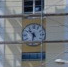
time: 10:32
